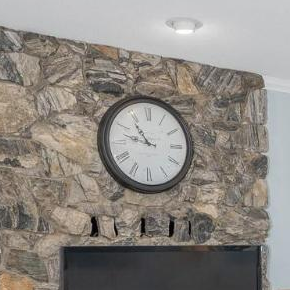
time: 10:47
